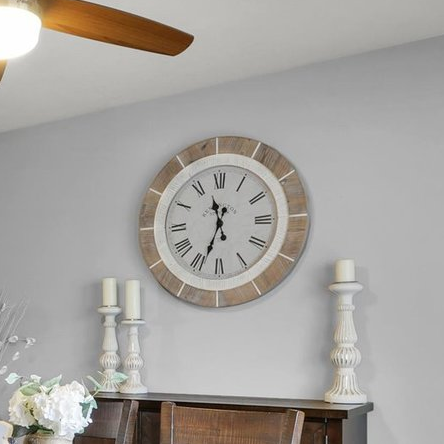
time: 11:33
